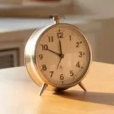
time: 11:49
